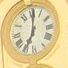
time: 7:00
